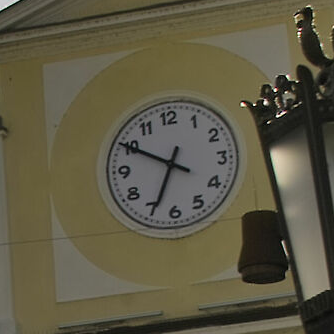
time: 6:49
